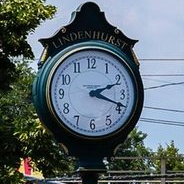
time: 2:18
